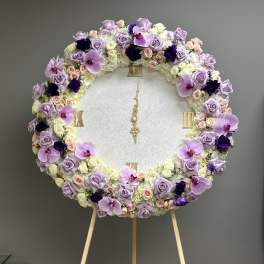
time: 12:00
